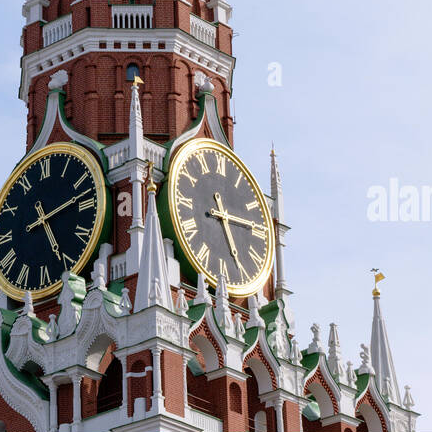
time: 5:14
